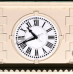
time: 10:41
